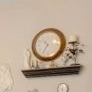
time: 10:34
